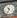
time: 10:34
